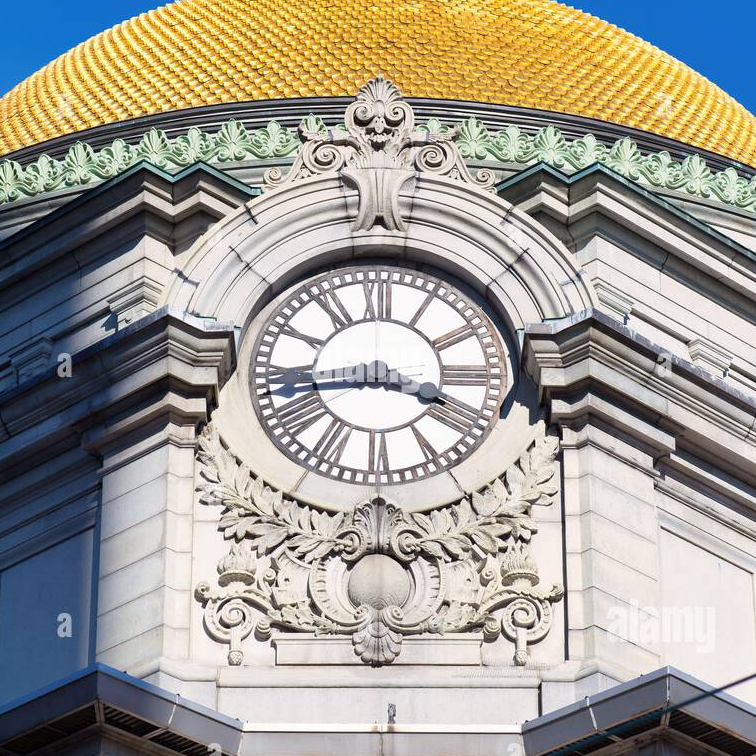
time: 3:43
